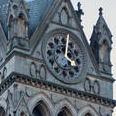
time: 4:02
